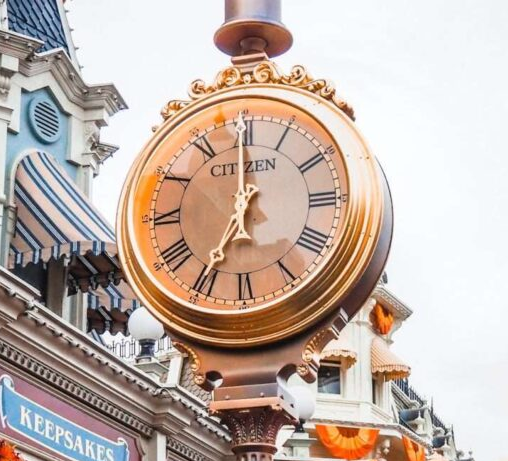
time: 7:00
